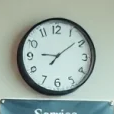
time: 9:08
